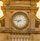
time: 7:46
